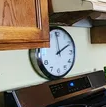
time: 1:59
